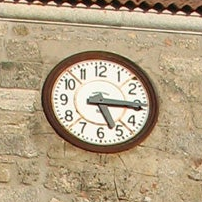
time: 5:15
